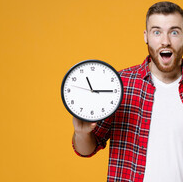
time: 11:14
